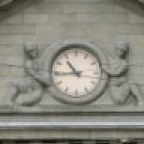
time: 10:44
